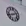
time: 8:11
